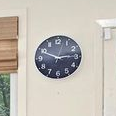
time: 2:49
